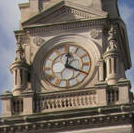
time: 12:19
